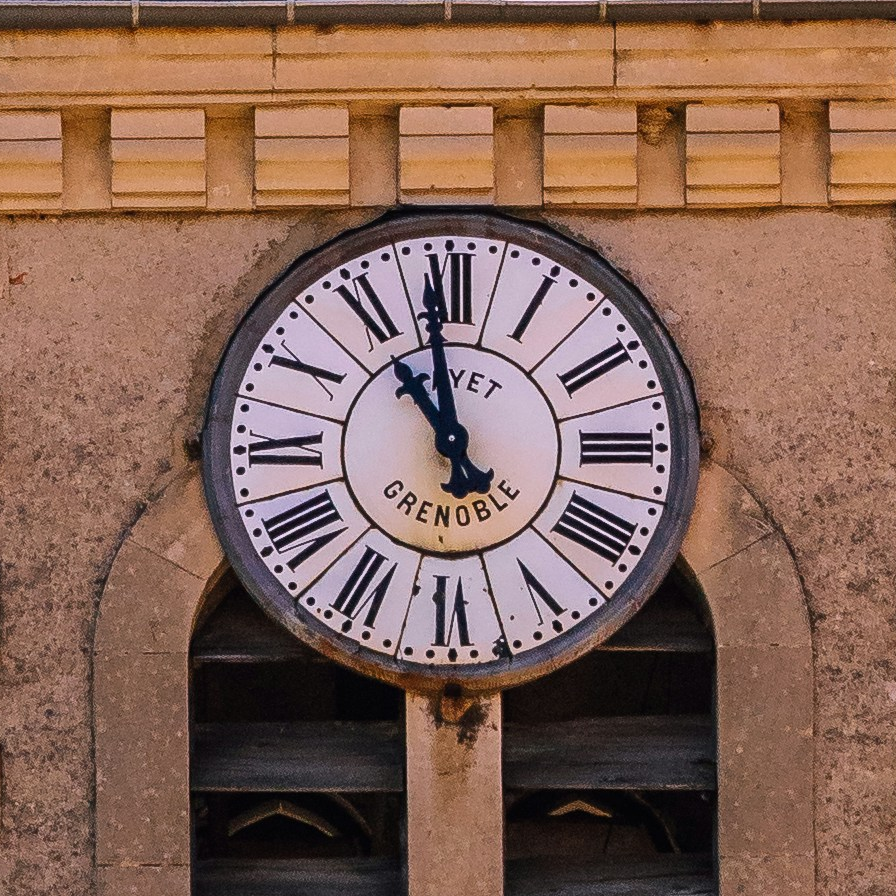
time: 10:58
